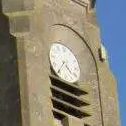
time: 4:35
